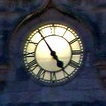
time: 4:54
